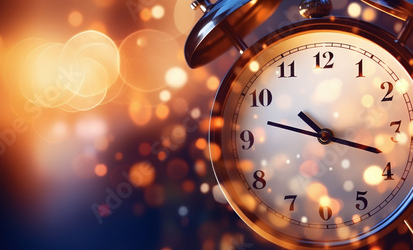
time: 10:17
